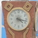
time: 4:17
